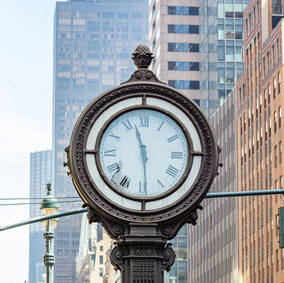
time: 11:29
